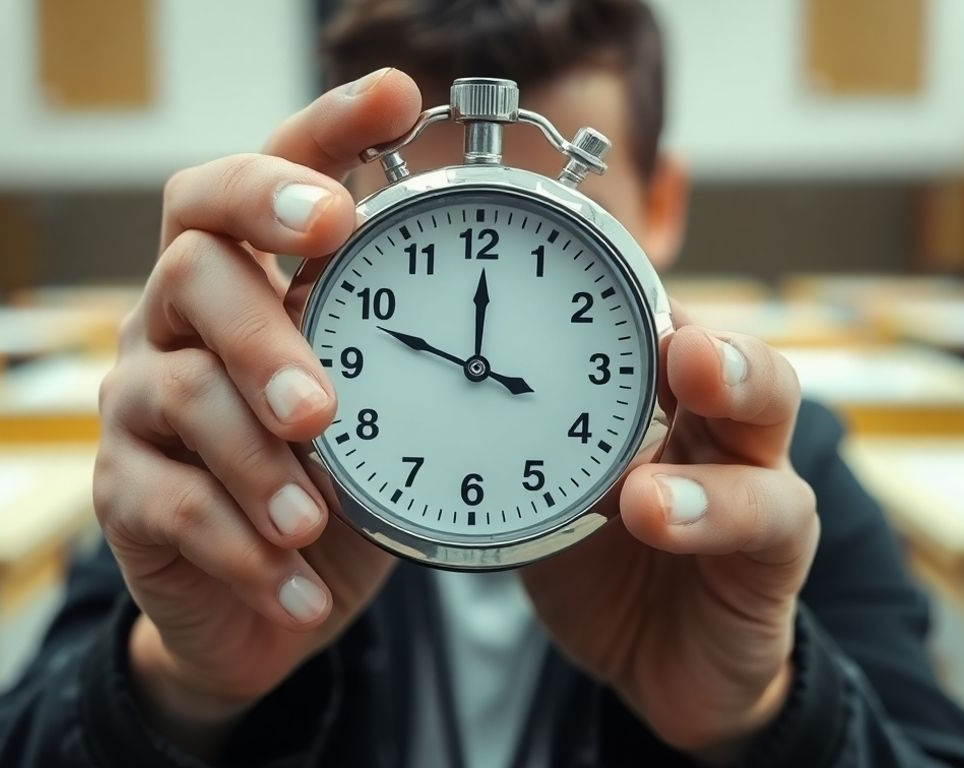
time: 11:48
